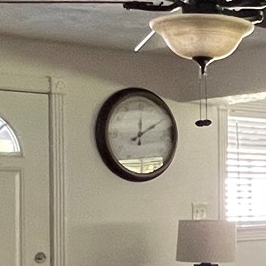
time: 12:09
